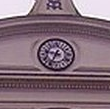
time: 9:34
